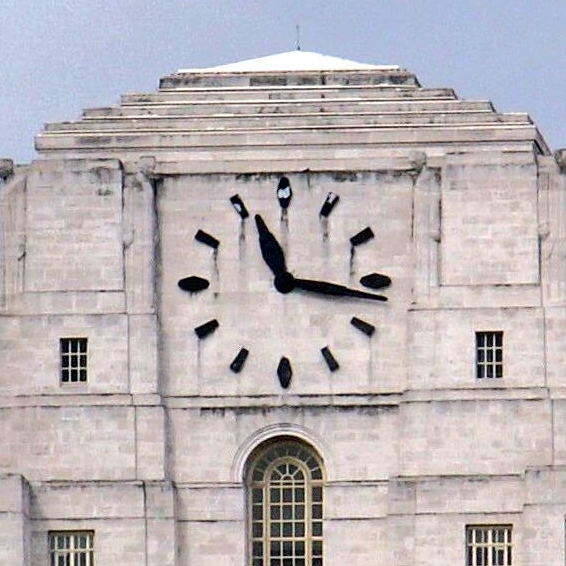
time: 11:16
